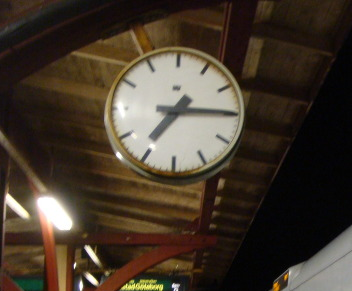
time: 7:15
